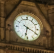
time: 6:19
